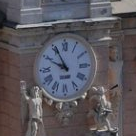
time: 9:55
